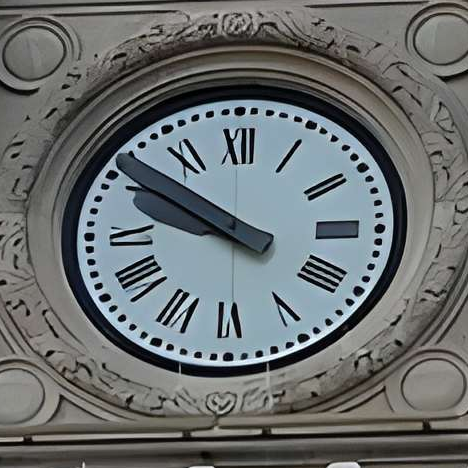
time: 9:50
